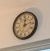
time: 12:13
